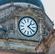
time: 1:21
